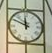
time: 11:49
